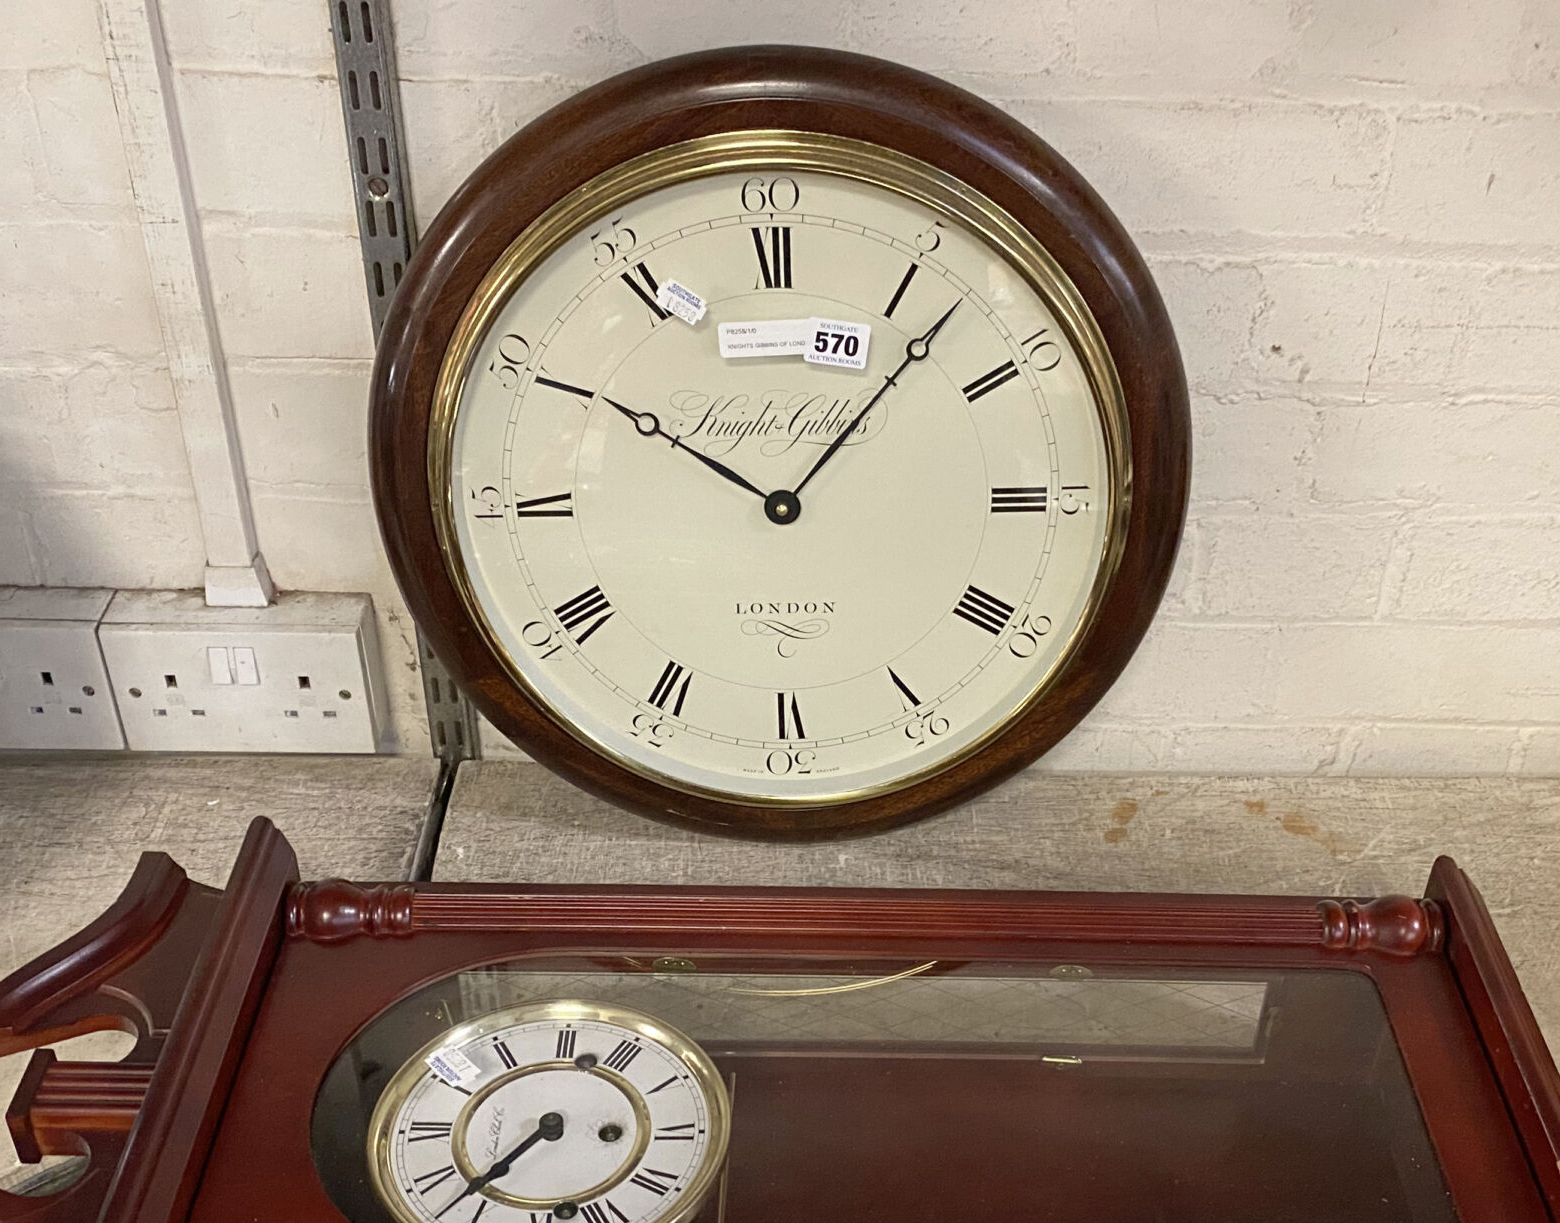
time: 10:06
